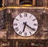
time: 6:20
